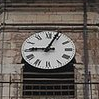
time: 9:03
